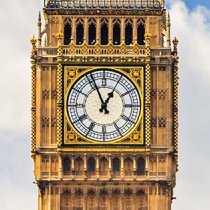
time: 12:56
